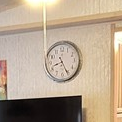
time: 8:25
